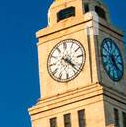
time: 4:22
